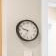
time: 9:34
